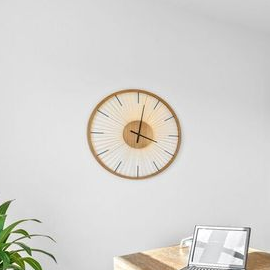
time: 4:01
